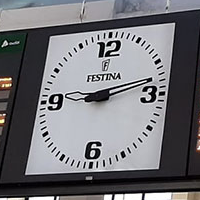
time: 9:12
